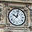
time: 10:02
